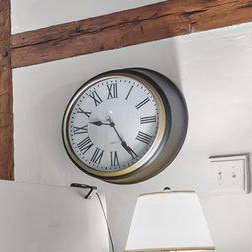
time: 9:24
